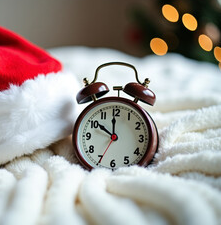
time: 11:50
